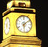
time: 6:08
